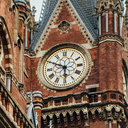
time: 5:49
